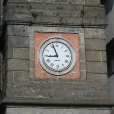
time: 8:56
